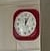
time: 12:04
